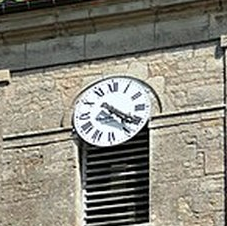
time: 4:20
